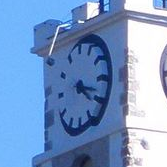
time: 4:17
